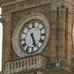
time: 5:26
